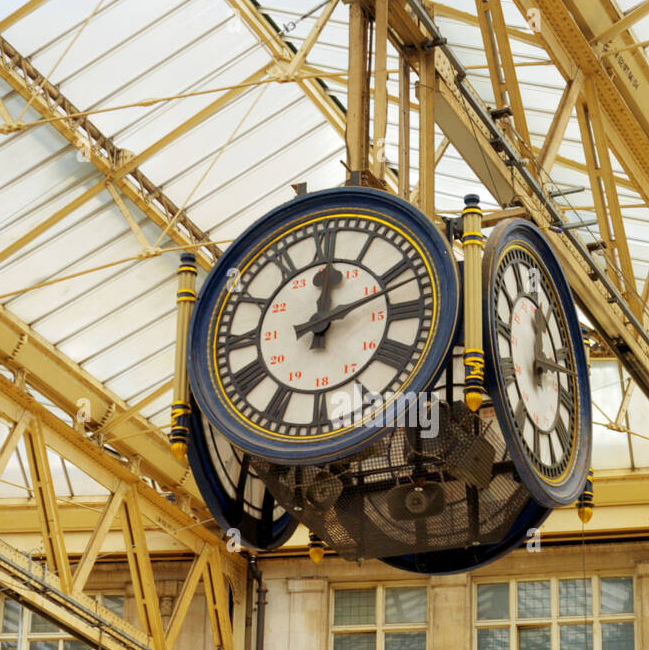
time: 12:11
